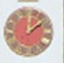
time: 12:07
